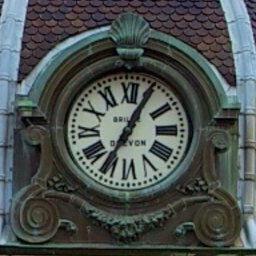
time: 7:04
